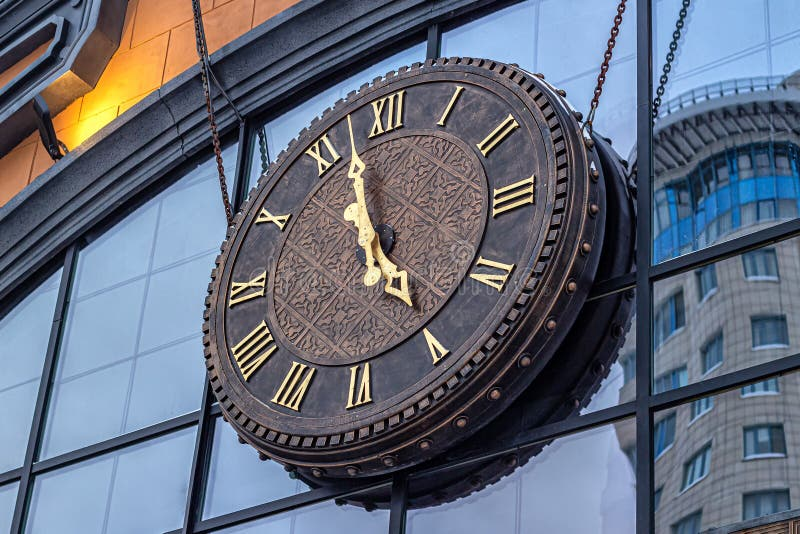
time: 4:57
